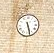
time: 5:27
